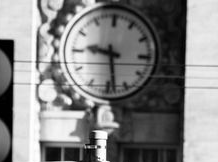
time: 9:28
